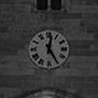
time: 12:24
